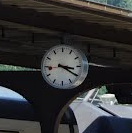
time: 3:20
